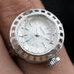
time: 8:18
